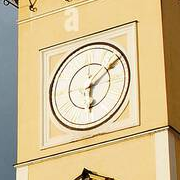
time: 6:08
